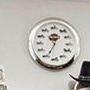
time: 10:34
